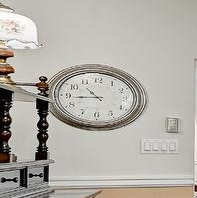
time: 10:44
